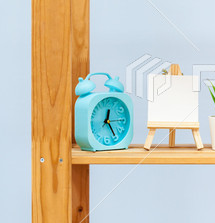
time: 12:24
